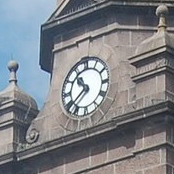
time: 10:39
